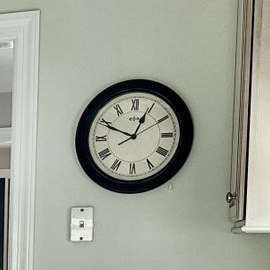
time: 12:49
